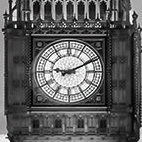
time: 9:10
